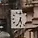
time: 5:33
